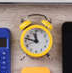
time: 11:47
